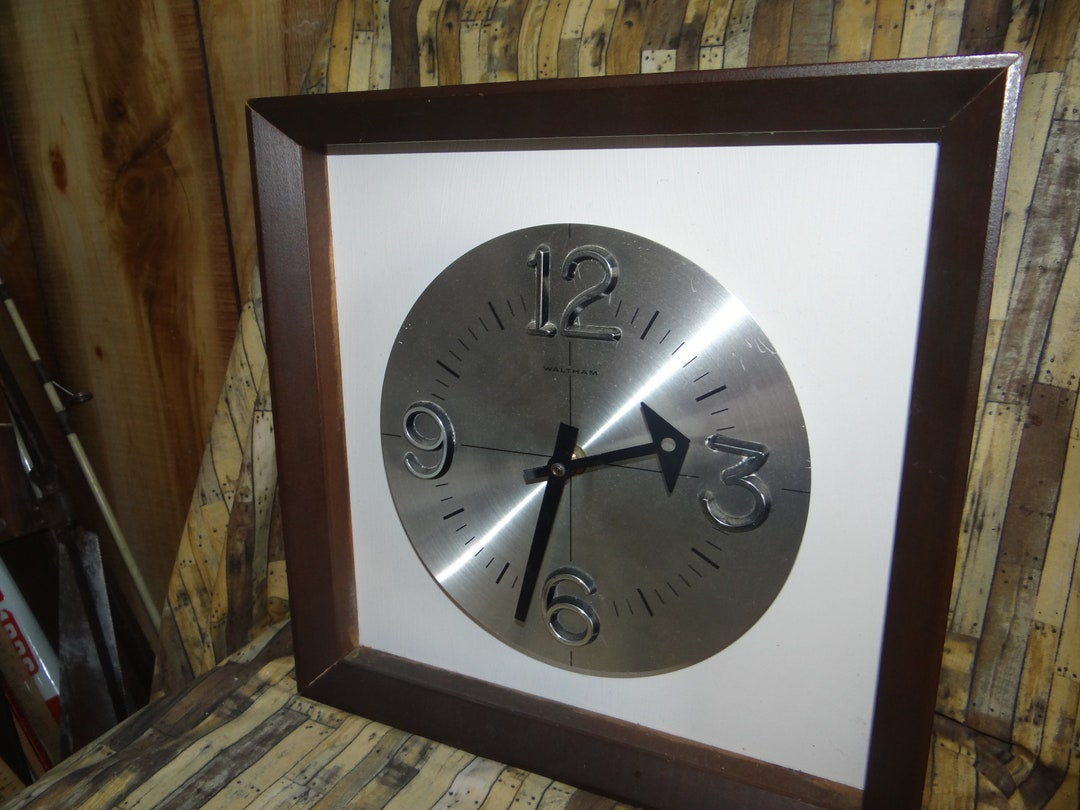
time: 2:32
